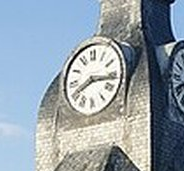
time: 8:16
